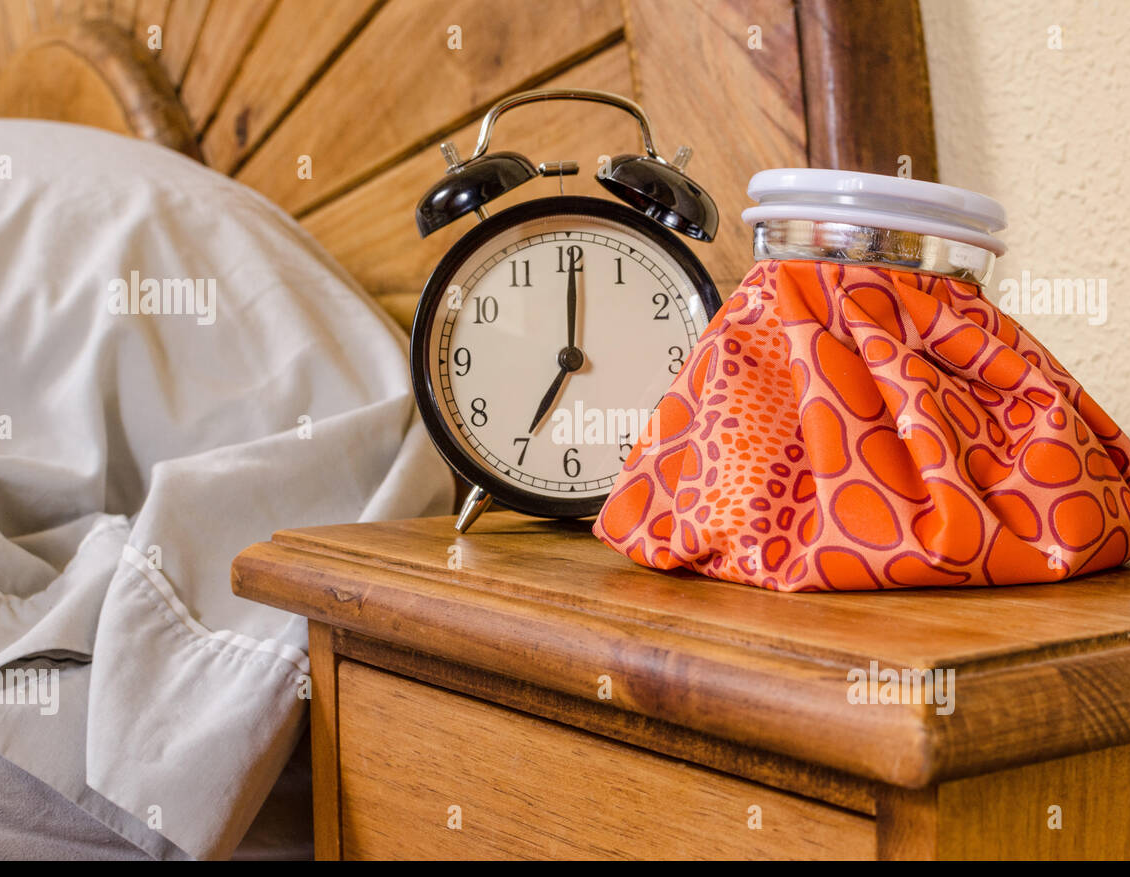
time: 7:00
